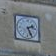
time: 2:25
